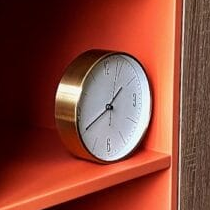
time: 1:40
